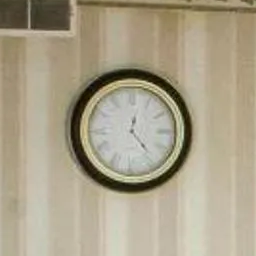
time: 12:23
